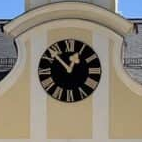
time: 12:52
